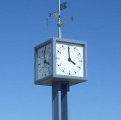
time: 3:59
